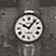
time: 10:06
